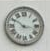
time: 10:16
